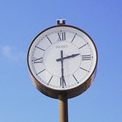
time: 2:29
